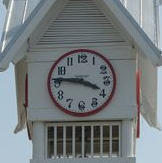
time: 3:45
